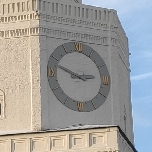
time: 2:48
